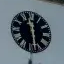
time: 11:28
